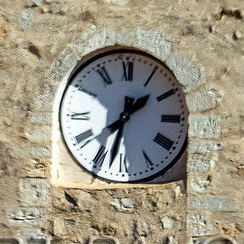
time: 1:32
